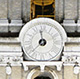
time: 11:37
